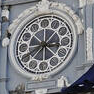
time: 2:40
